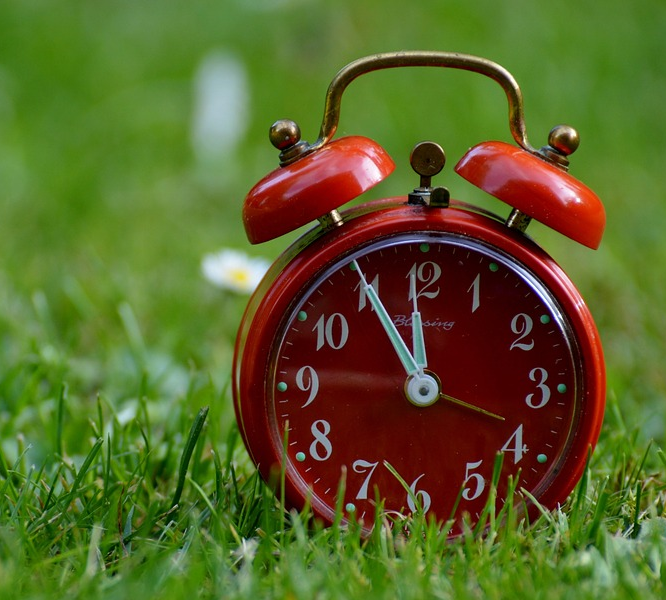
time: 11:55
